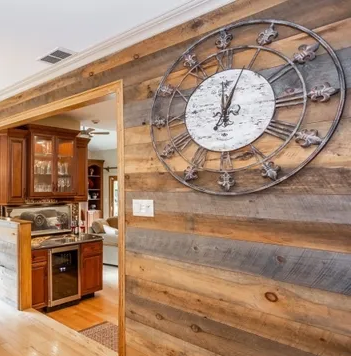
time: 12:03
